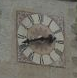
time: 2:42
